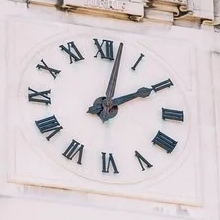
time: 2:02
